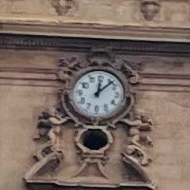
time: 12:07
